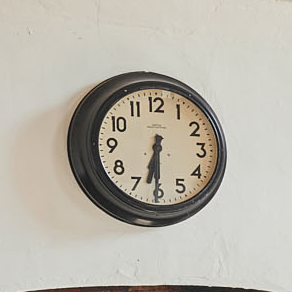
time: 6:30
